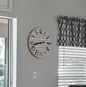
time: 2:42
